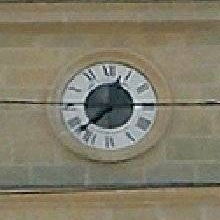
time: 7:38
